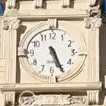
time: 5:26
